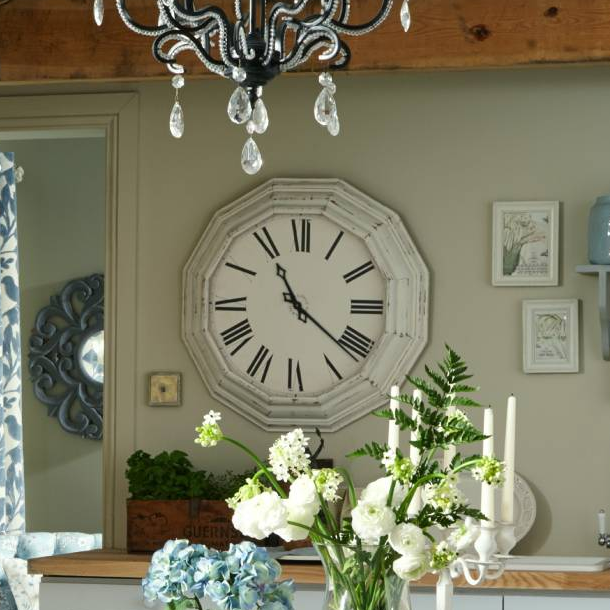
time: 11:21
